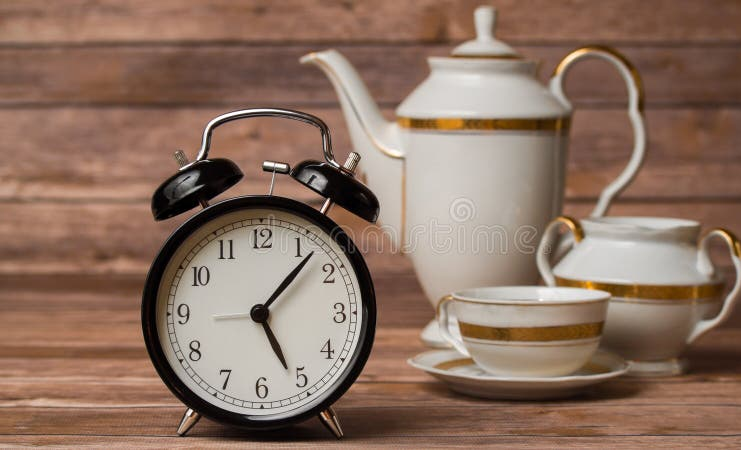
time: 5:07
